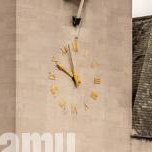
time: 9:57
